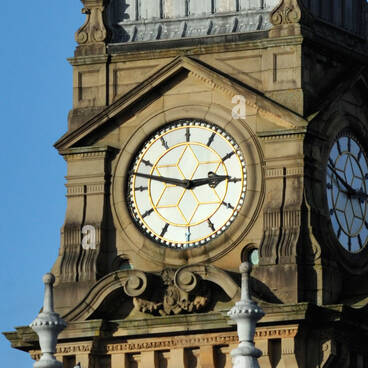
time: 2:47
